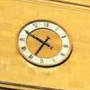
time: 6:49
